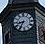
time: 8:35
